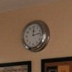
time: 12:13
